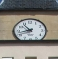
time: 10:42
